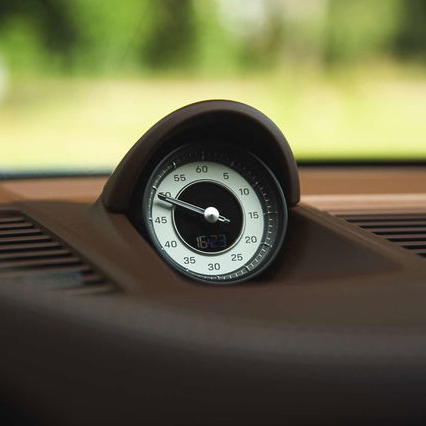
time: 9:48
